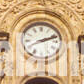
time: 2:11
